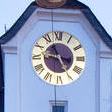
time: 3:24
